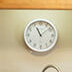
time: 11:08
